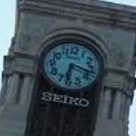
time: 6:17
